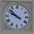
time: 9:51
